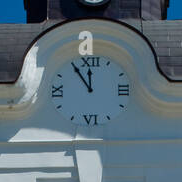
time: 11:54
